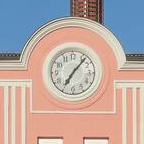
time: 7:06
